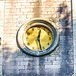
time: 12:27
